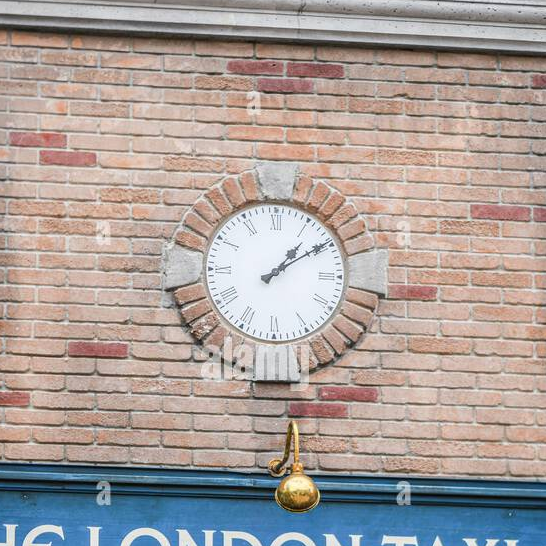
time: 1:09
